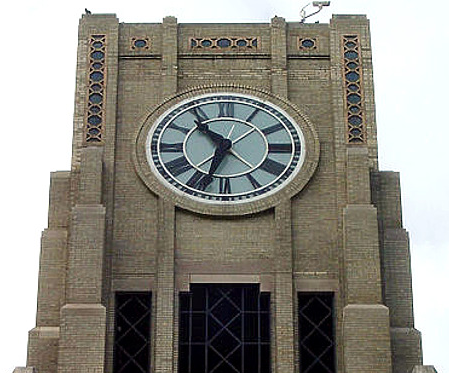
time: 10:33
